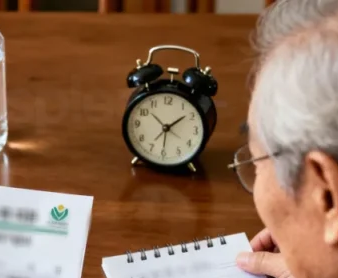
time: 1:51
